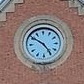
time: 4:50
